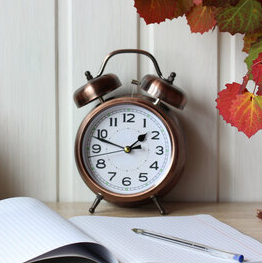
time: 1:48
